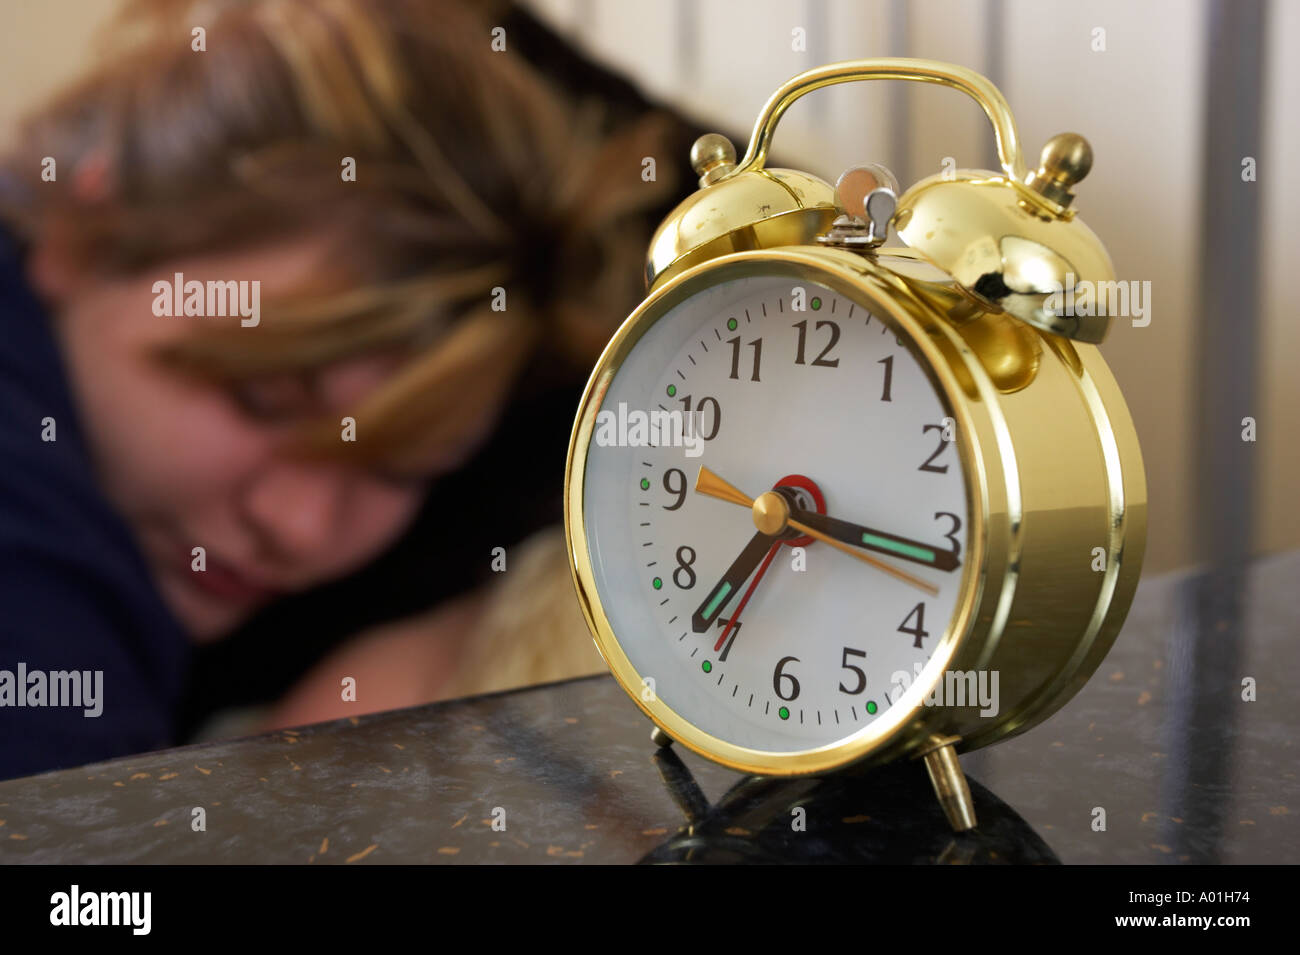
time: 7:16
